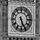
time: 5:26
